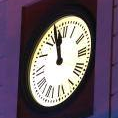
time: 11:57
